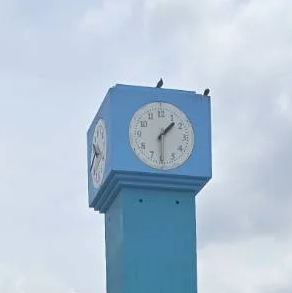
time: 1:30
